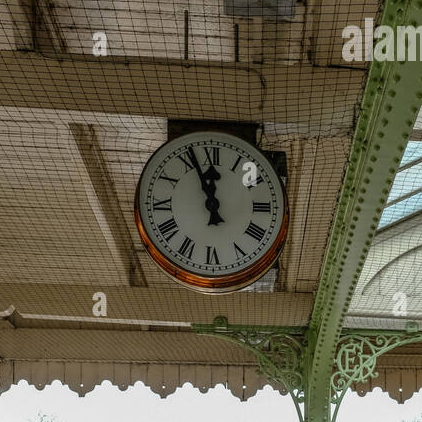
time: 11:56
